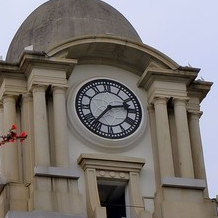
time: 2:36
